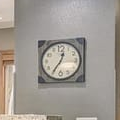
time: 12:35
